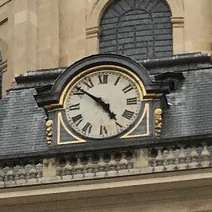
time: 4:51
